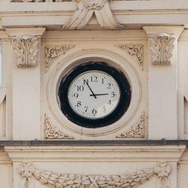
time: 2:55
